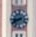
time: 8:40
